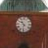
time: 10:31
